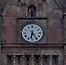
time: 6:24
